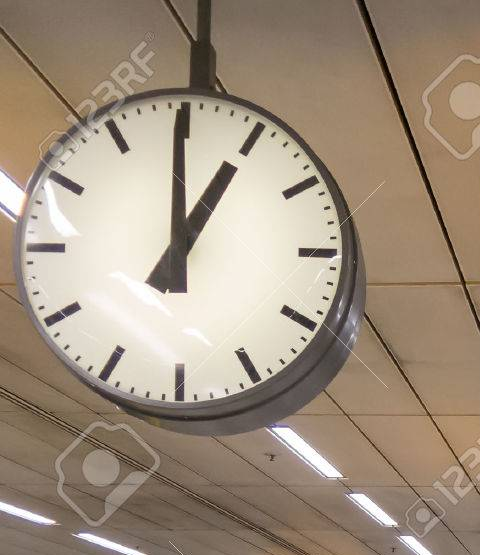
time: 12:59
